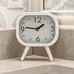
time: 1:46
